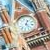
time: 12:23
